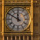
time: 11:50
